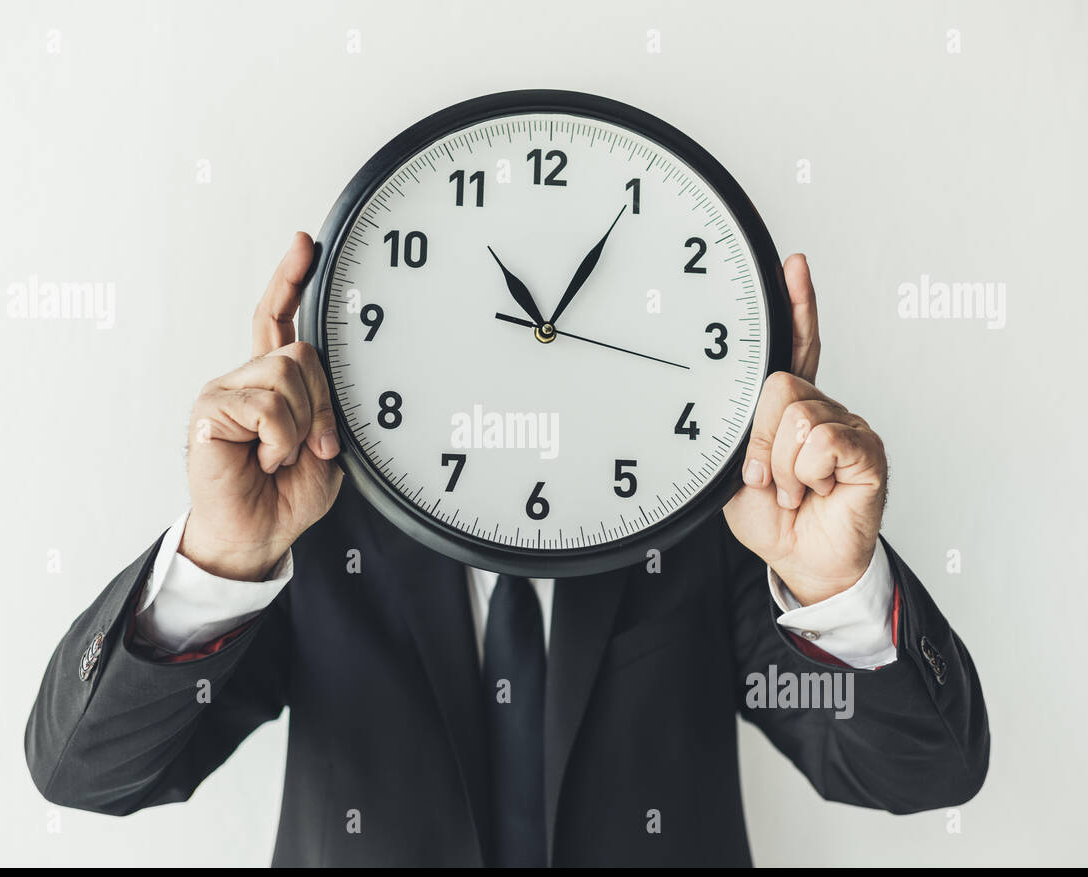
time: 11:05
